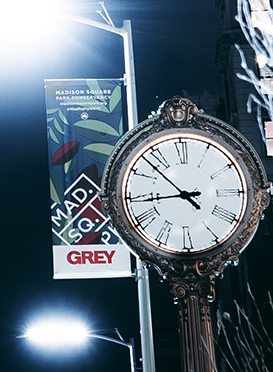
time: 8:52
